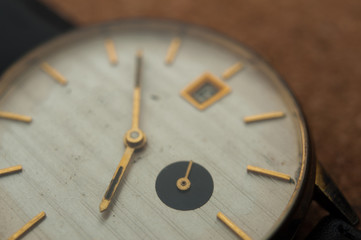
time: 7:02
